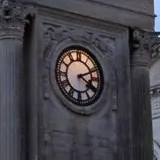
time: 4:11
